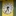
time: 5:36
